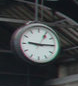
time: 9:14
